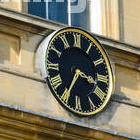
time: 3:34
